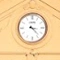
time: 3:22
